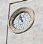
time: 10:56
